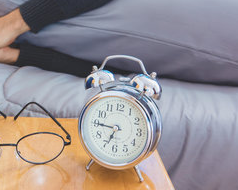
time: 6:45
